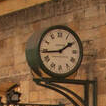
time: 1:44
